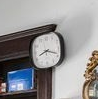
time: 8:18
